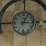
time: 3:04
